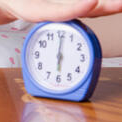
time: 6:00
